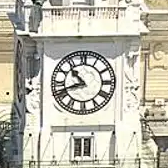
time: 10:41
